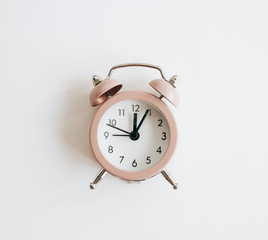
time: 12:04
